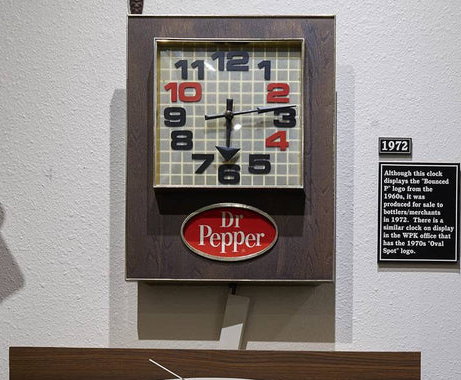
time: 6:13
